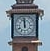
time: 11:58
